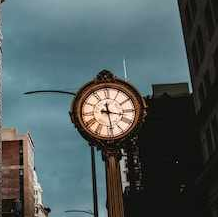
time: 3:28
